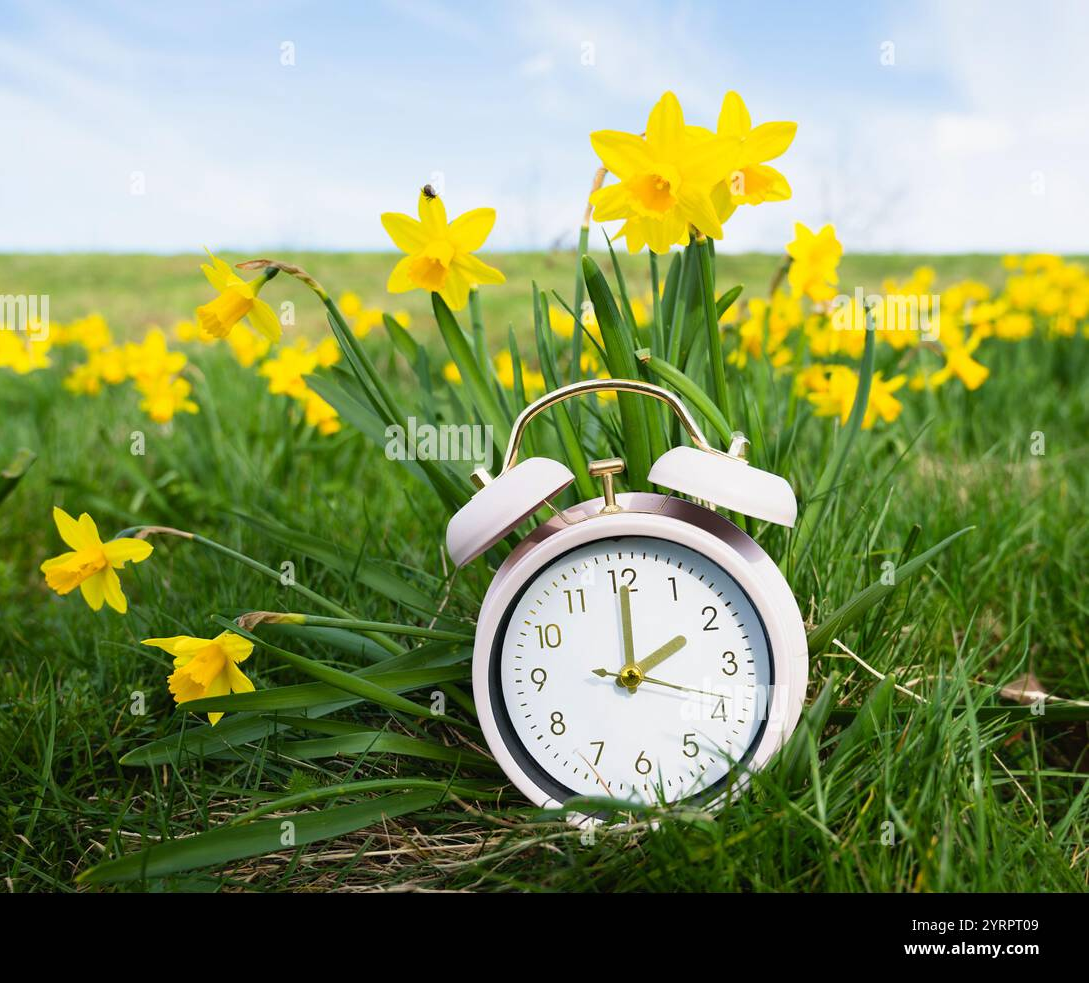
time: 2:00
